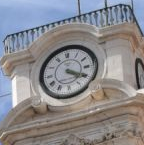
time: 4:19
